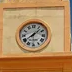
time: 8:07
